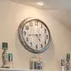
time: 4:43
